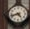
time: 4:42
